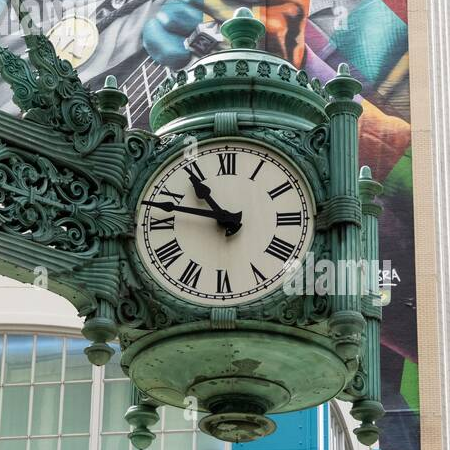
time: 10:47
